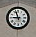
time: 8:56
